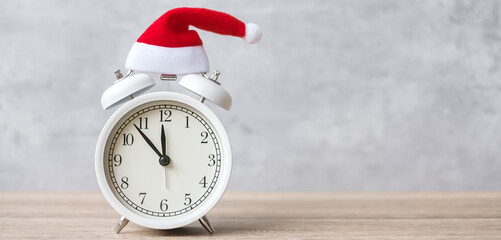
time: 11:53
